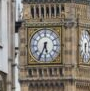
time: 5:34
